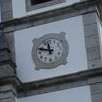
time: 11:48
